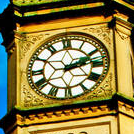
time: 2:12
